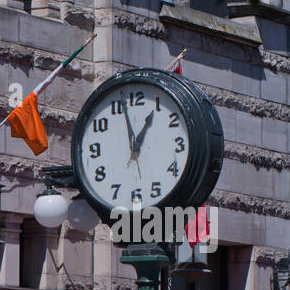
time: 12:57
